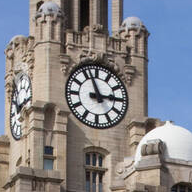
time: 2:56
